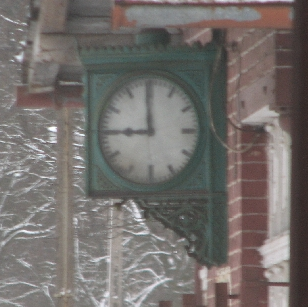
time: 8:59
